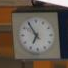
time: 6:54
